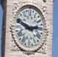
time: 2:48
